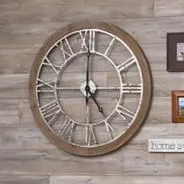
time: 5:00
